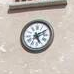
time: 5:10
